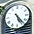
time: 5:23
